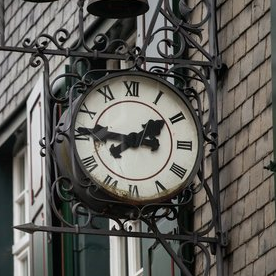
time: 1:46
